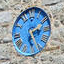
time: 2:27
